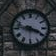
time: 3:46
